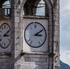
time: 3:09
